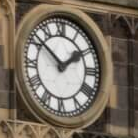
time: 1:51
